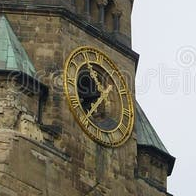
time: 11:37
